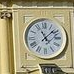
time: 11:07
